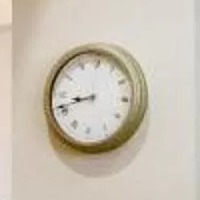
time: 8:41
